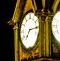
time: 7:15
